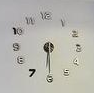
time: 6:30
